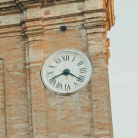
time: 8:20
